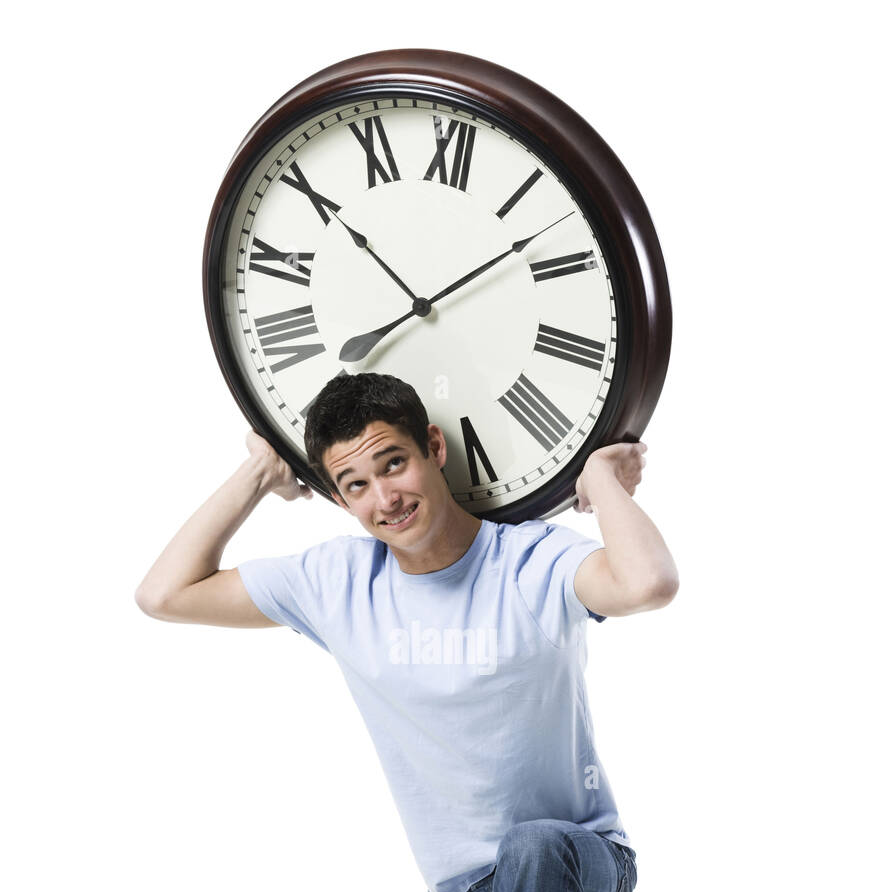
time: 10:07
